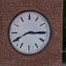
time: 2:40
